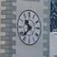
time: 10:37
